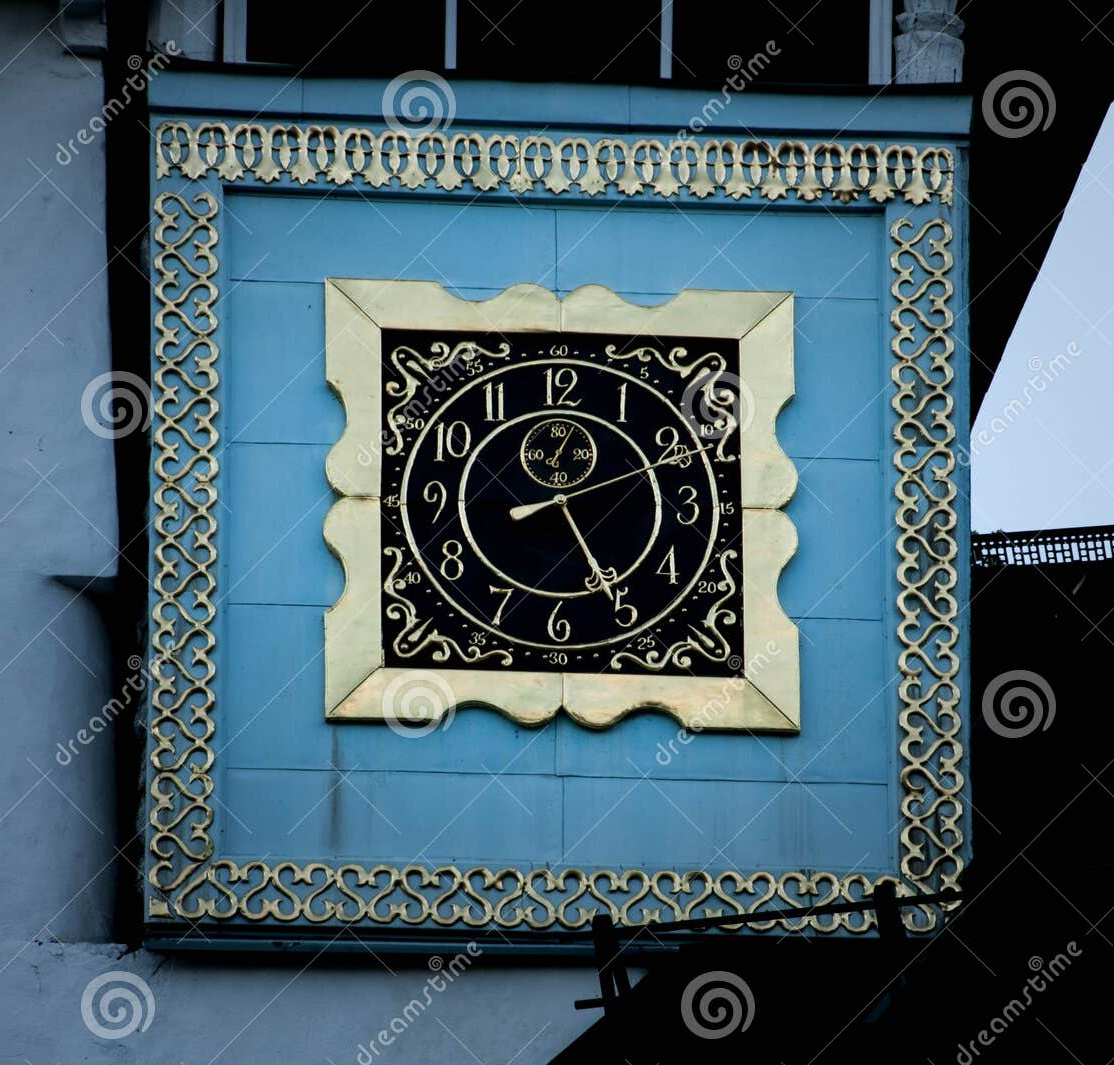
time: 8:25
